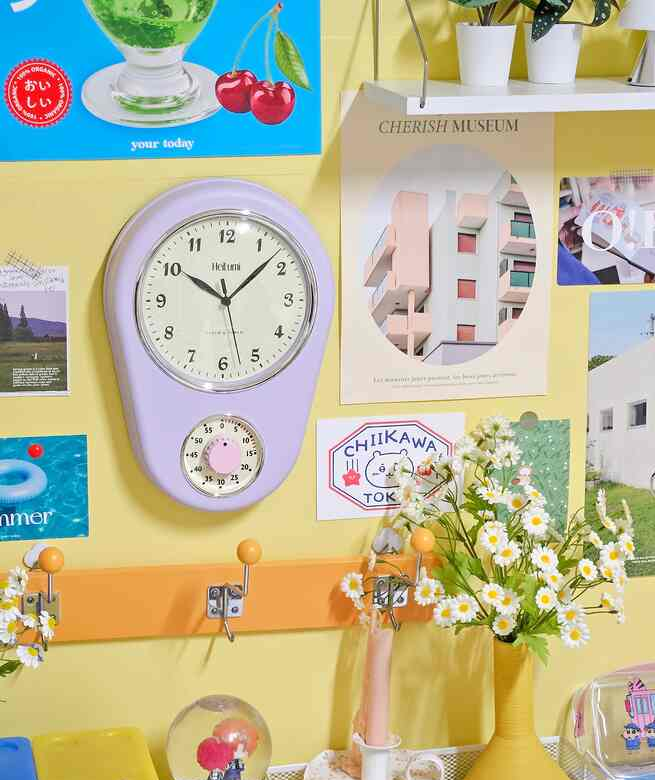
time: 10:07
